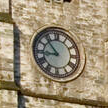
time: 8:53
